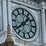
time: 1:38
